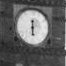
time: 5:59
